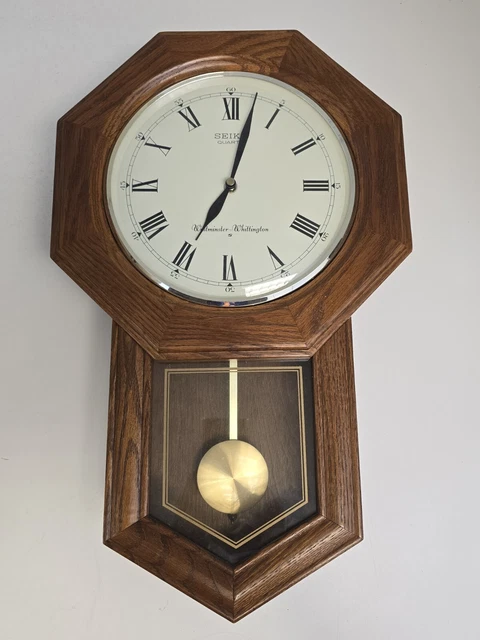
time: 7:02
